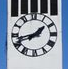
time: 1:42
